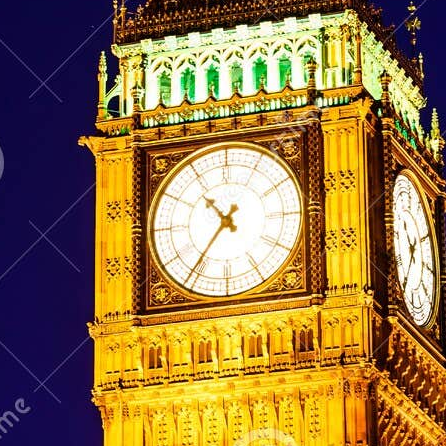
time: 10:36
